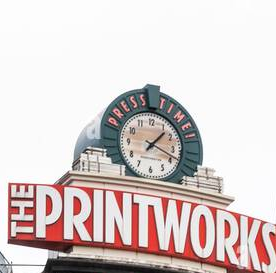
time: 1:18
